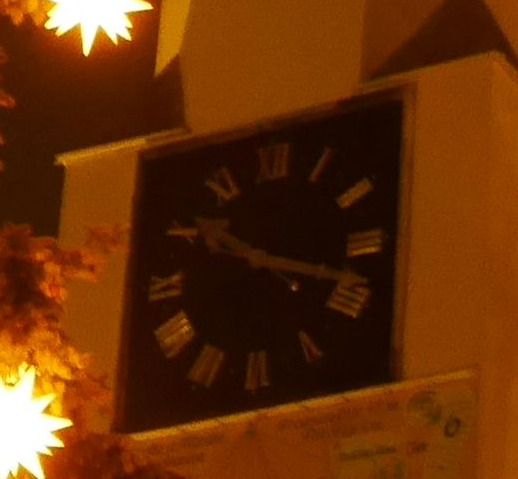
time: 10:18
